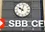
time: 10:02
